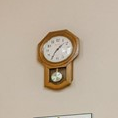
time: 1:34
